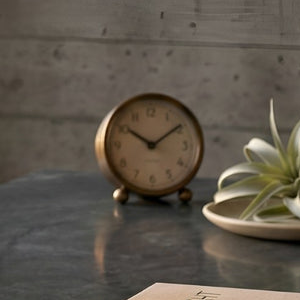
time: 10:09
